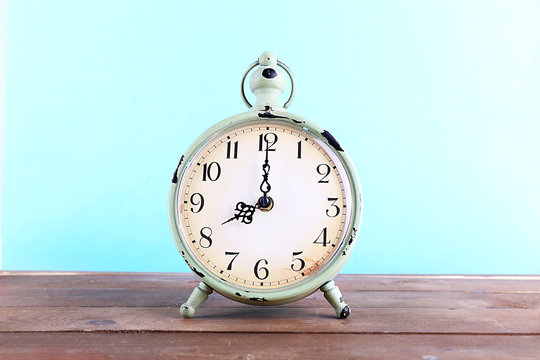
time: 8:00
